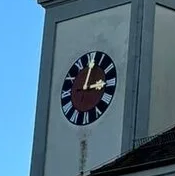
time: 3:01
